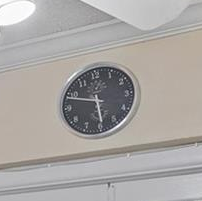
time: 5:48
